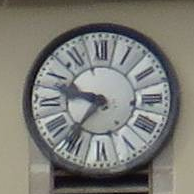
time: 9:36
